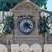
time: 2:21
